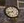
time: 4:42
